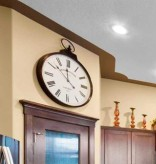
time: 11:51
